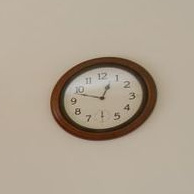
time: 12:48
